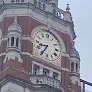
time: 8:34
